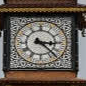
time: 3:23
